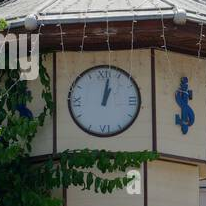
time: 1:02
